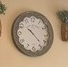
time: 10:22
